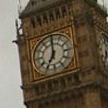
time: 7:00
